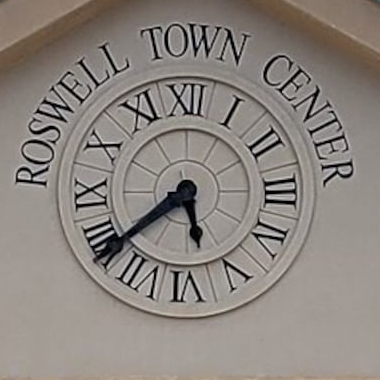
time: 5:38
